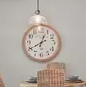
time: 12:40
